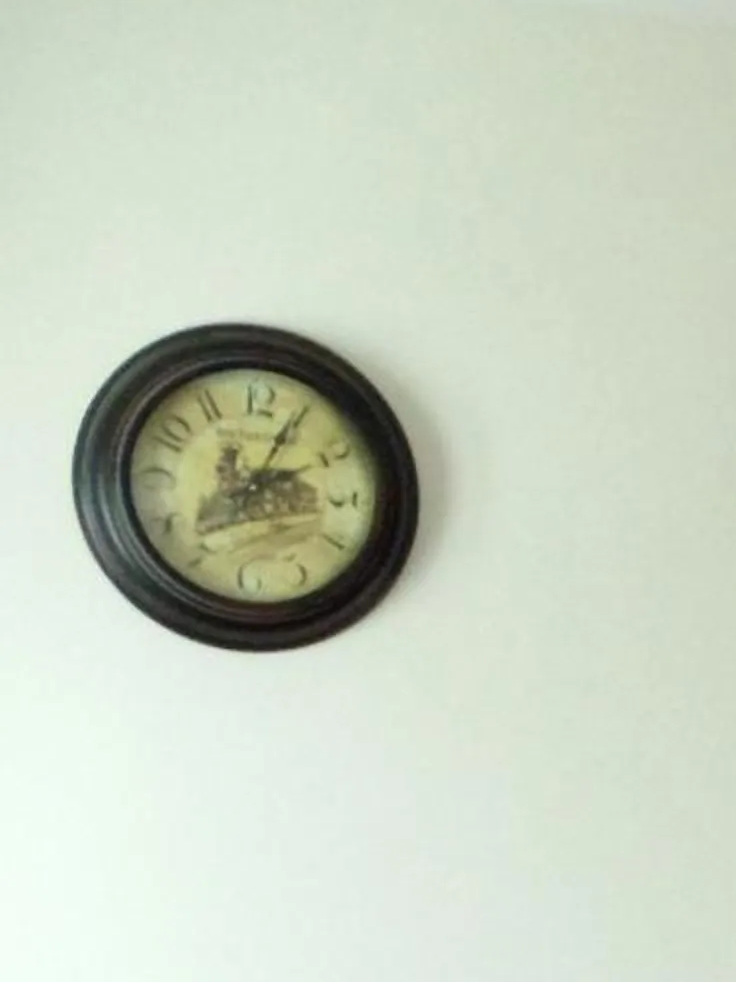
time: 2:04
